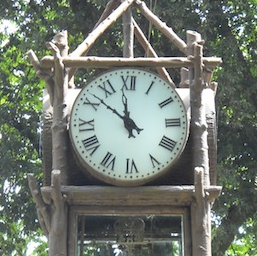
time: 11:51
